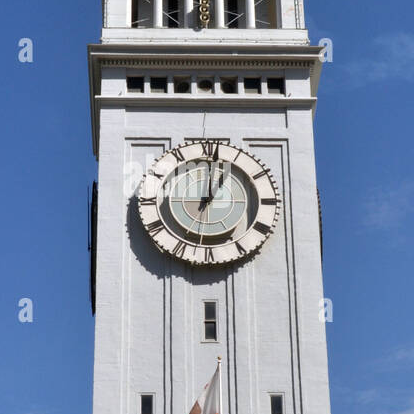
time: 1:01
